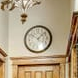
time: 10:07
